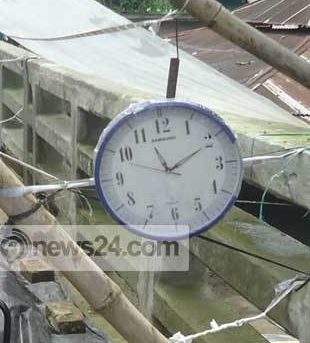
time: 11:10
